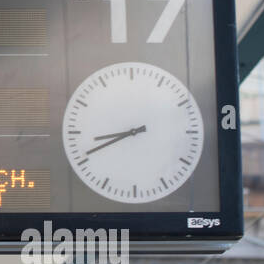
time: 8:41
